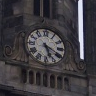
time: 5:18
